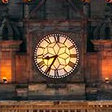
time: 8:35
